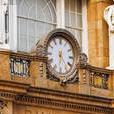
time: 6:23
